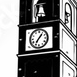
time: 7:06
